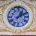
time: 1:10
